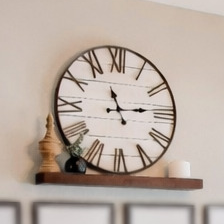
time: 11:14
